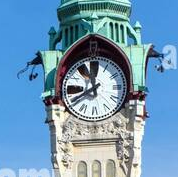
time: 11:40
